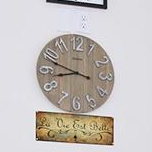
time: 8:48
